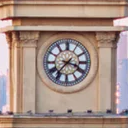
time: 3:36
